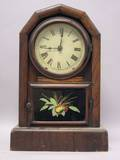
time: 9:01
